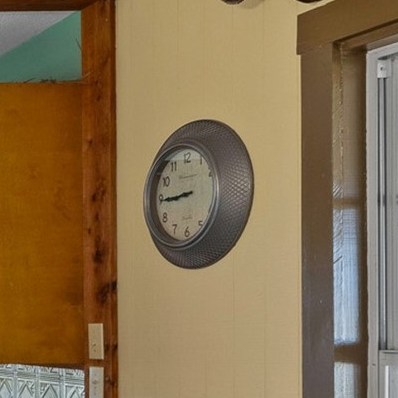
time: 8:44
